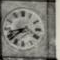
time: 7:42
